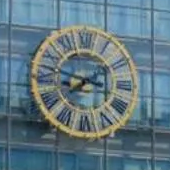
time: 7:47
